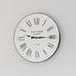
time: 9:14
